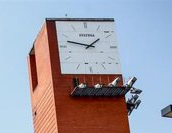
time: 1:47
